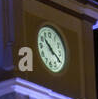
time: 10:20
